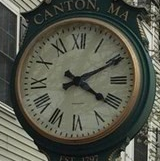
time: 4:10
